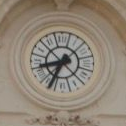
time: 8:34
